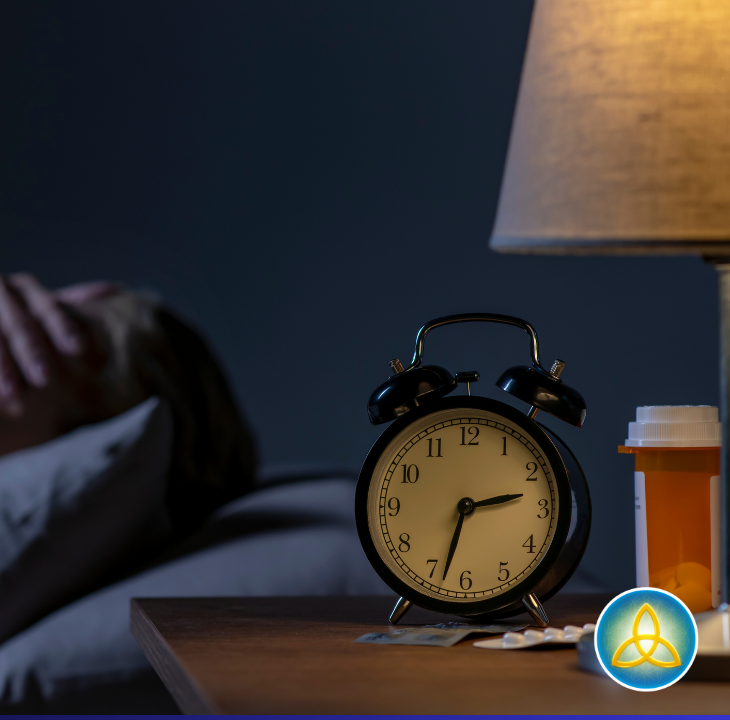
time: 2:33
